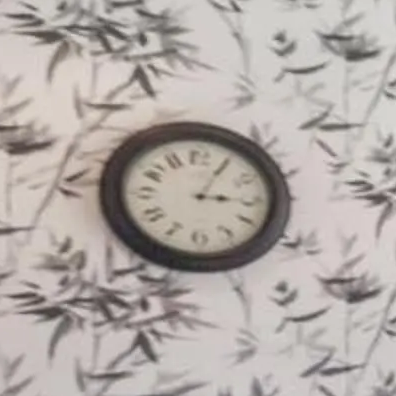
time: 3:05
